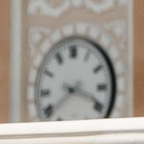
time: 3:38
